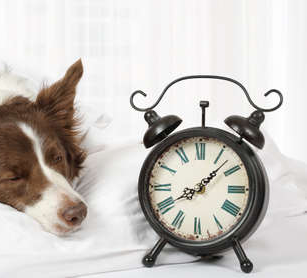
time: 8:07
